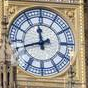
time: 11:42
